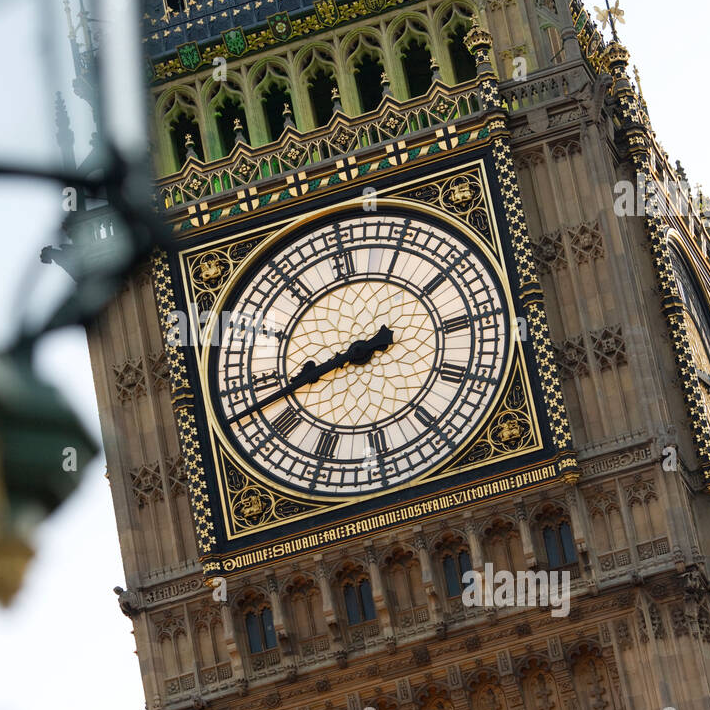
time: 8:42
